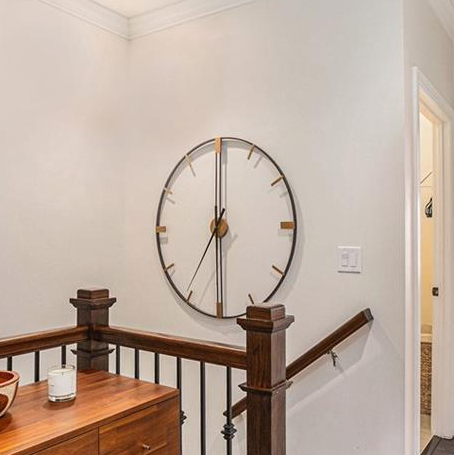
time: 6:00
